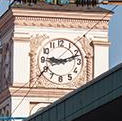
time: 9:11
